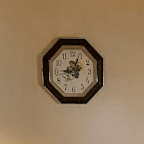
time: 9:03
